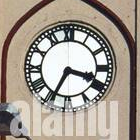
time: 3:34
